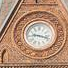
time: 9:17
